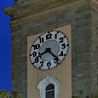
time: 8:23
